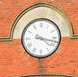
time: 4:17
